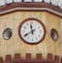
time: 11:40
